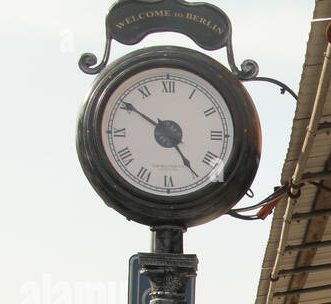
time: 4:50
